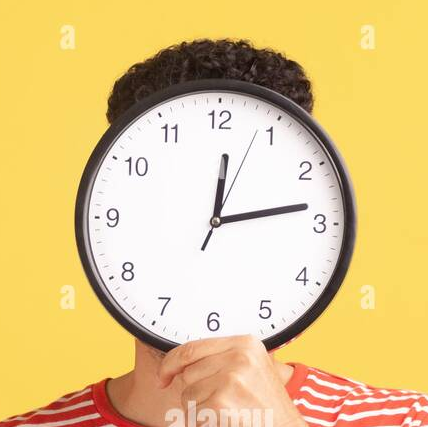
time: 12:13
